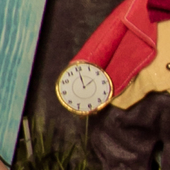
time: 2:00
